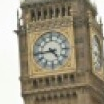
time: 4:44
